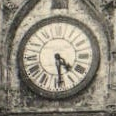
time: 4:28
